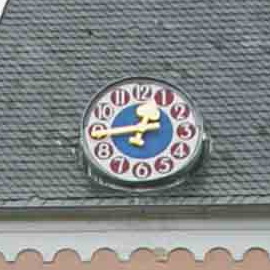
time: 11:43
